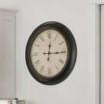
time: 12:14
